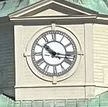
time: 10:16
